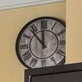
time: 11:53
